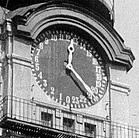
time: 12:23
